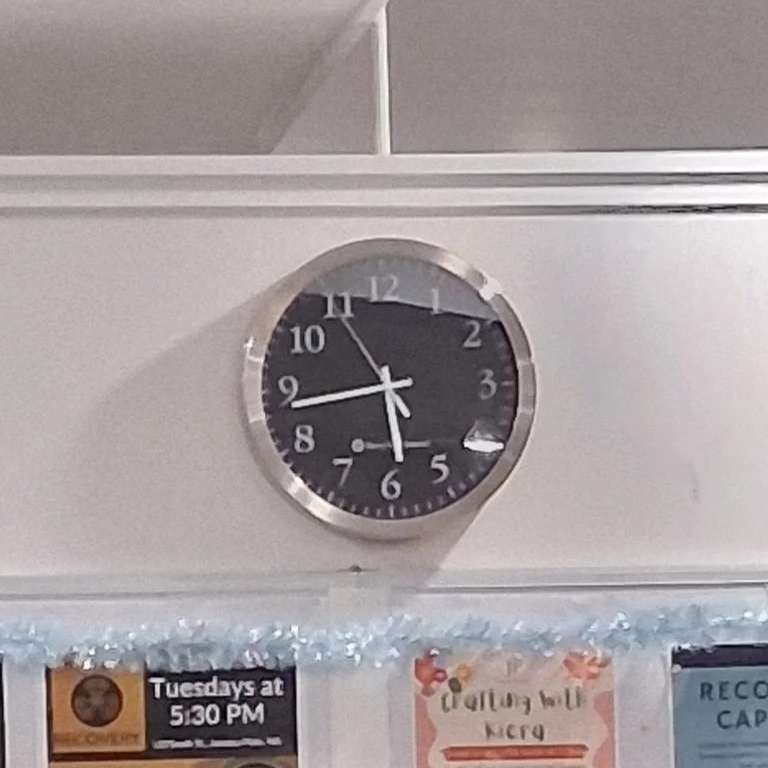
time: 5:43
